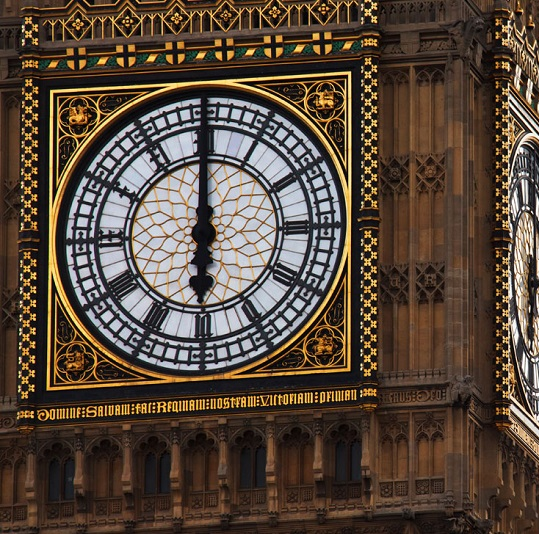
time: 5:59
